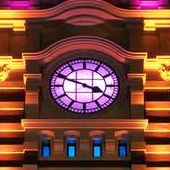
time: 3:48
